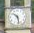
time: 10:28
